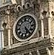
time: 5:23
